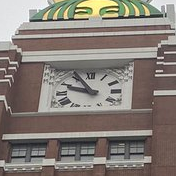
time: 9:55
